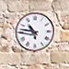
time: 10:47
